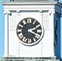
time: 2:18
